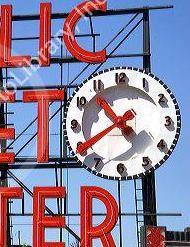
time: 10:40
